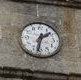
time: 1:32
